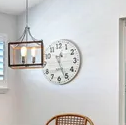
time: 12:26
